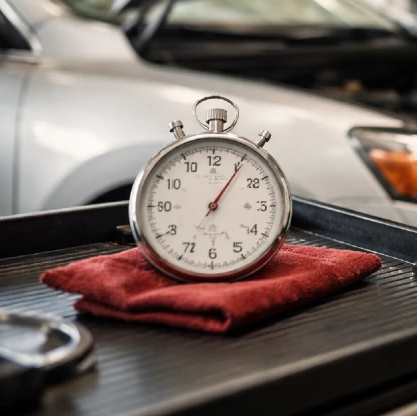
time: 1:05
